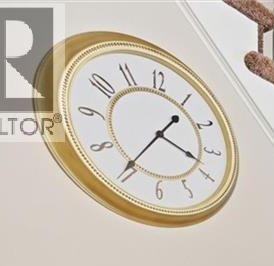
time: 3:35
